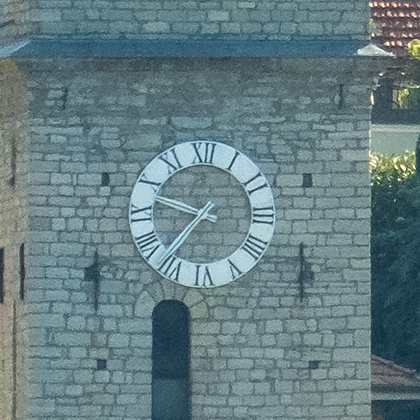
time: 9:36
